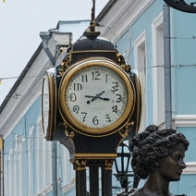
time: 3:09
